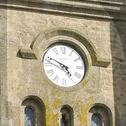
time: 4:49
